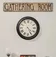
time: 4:25
